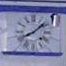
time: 8:07
